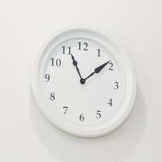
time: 11:08
